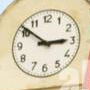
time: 2:51
